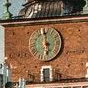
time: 5:59
